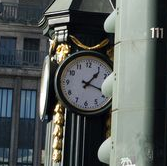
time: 1:18
